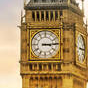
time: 3:14
